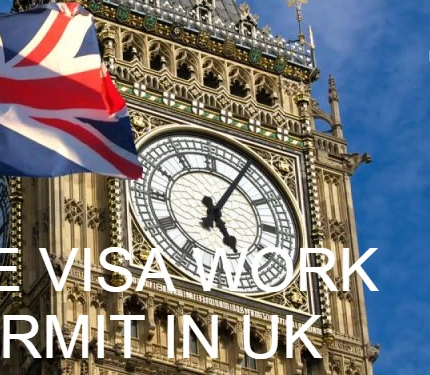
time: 5:05
